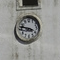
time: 3:47
